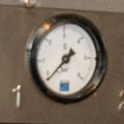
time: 1:37
